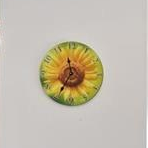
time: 11:34
